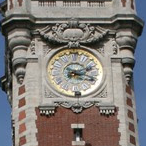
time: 2:18
